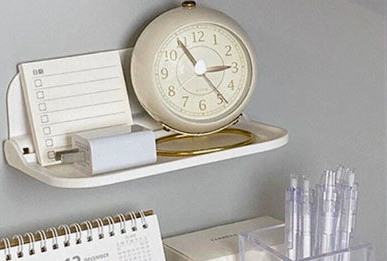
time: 2:54
